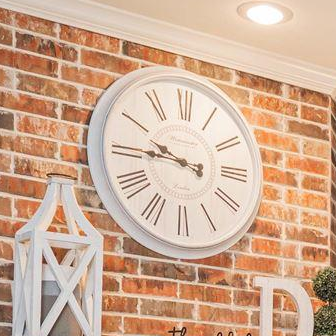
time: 9:45
